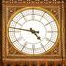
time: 4:46
